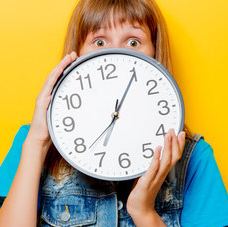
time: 7:05
